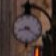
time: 8:21
